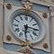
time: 6:15
